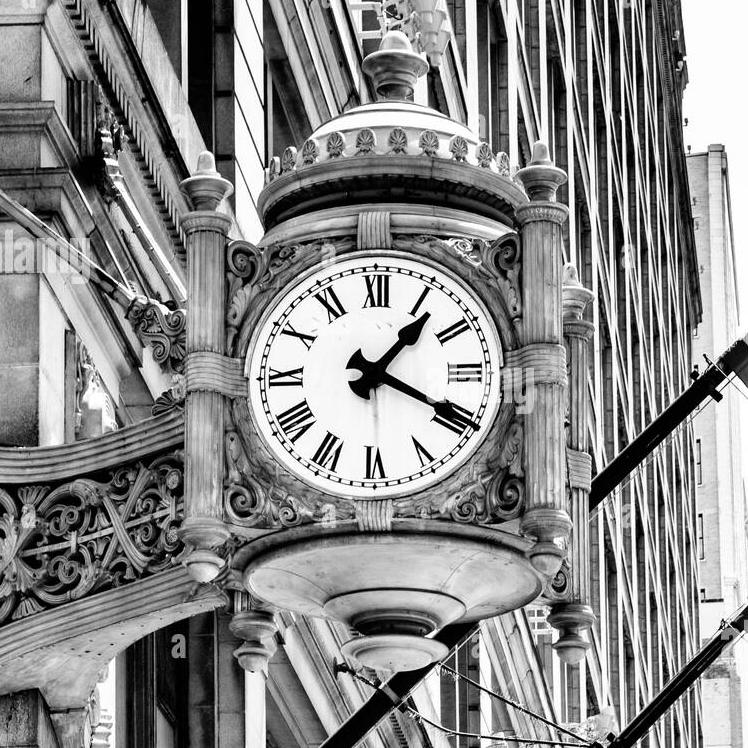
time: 1:19
